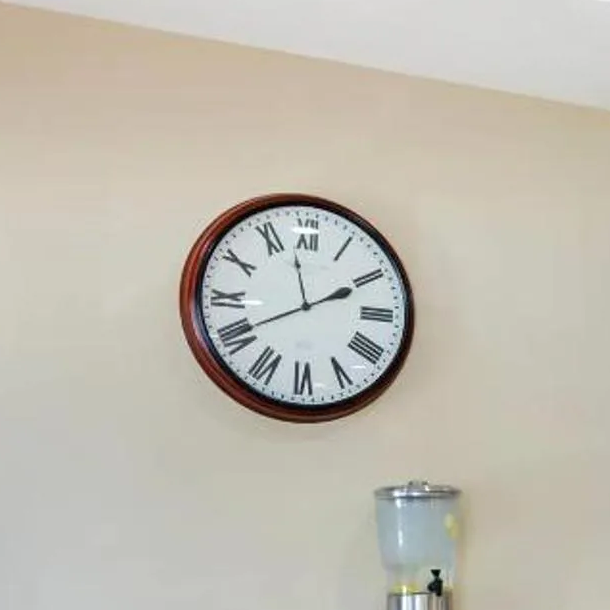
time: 1:57
